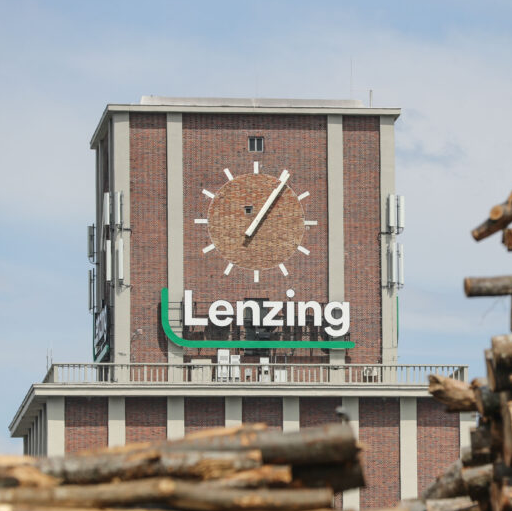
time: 1:06
